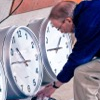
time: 10:45
